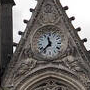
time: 11:37
